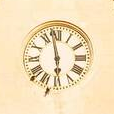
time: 5:58
